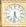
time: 5:31
